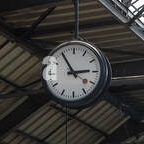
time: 2:54
